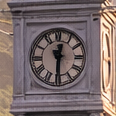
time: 12:30
